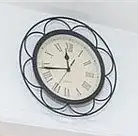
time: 11:43
